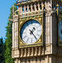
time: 1:23
